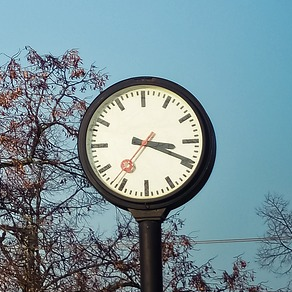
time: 3:19
